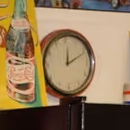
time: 12:10
